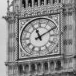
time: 11:10
